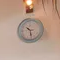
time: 10:28
